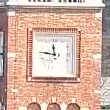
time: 11:46
